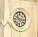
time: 10:15
